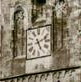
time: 5:11
